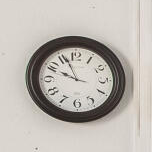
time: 9:56
